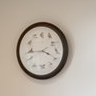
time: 3:44
